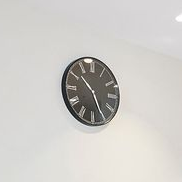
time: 10:25
